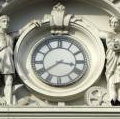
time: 3:39
